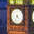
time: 4:34
